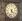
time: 4:32
